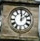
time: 2:00
